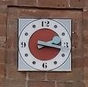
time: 2:17
